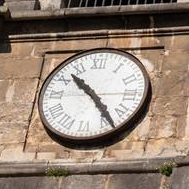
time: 10:23
